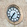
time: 7:36
